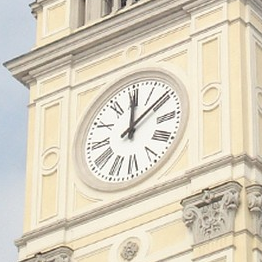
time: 12:09
